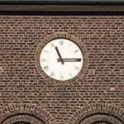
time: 11:15
